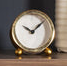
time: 10:07
